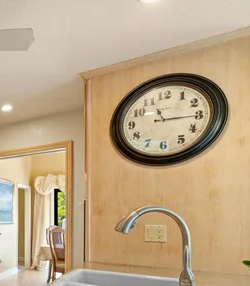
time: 11:15
